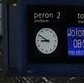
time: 8:50
